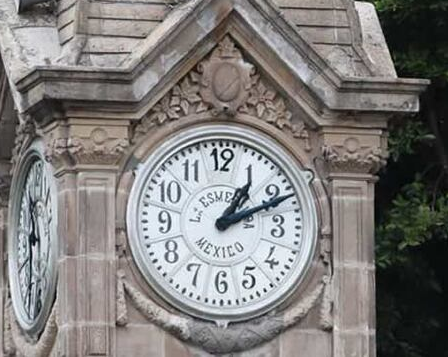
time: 1:11
